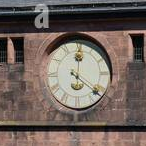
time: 12:21
